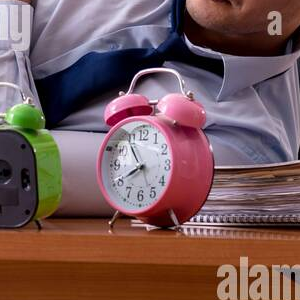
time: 7:55
